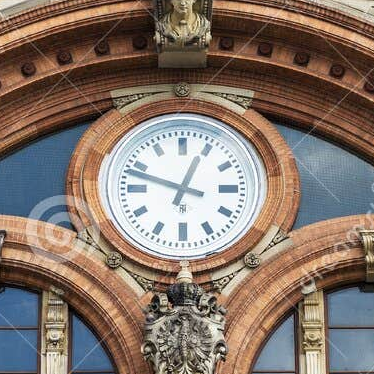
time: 12:48
